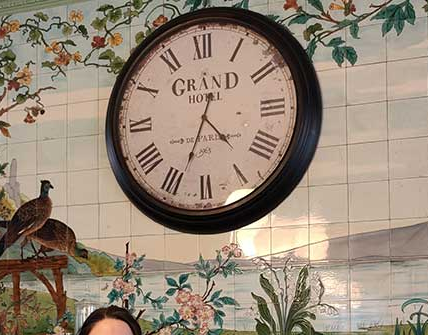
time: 4:33
